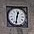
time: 12:31
